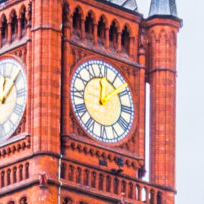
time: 12:07
